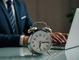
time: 6:14
